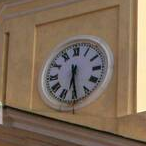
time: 6:29
